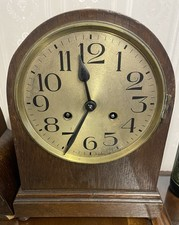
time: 11:34
